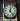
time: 12:23
